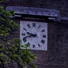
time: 9:42
